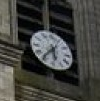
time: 5:36
